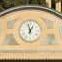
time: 12:57
